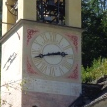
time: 2:42
